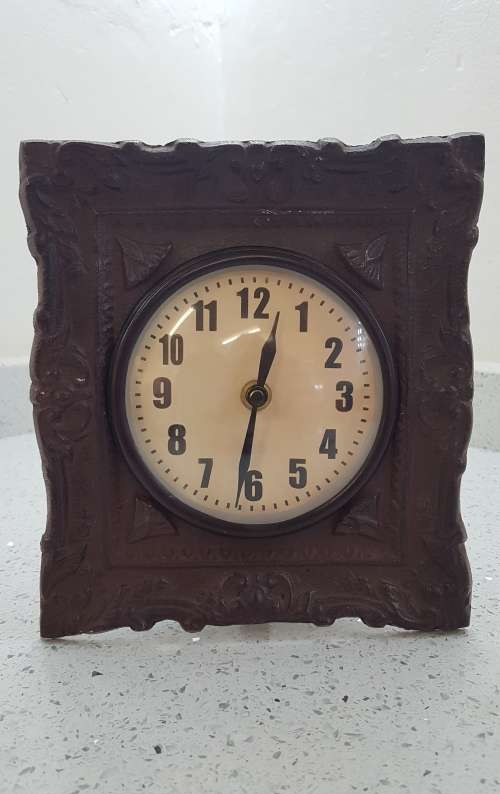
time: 12:31
